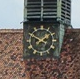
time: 1:49
